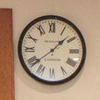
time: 1:38
